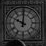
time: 10:00
